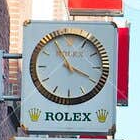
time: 3:55
